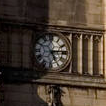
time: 5:14
